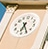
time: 6:24
